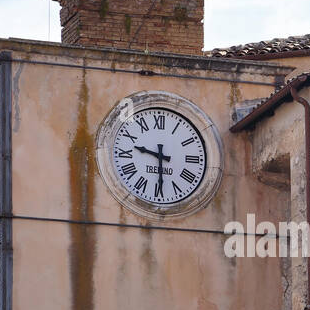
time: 9:29
